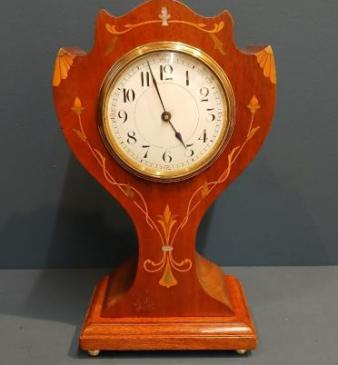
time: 4:57
